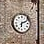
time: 6:11
